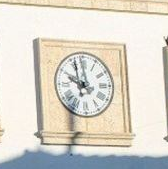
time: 9:57
